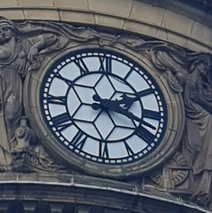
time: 2:18
